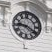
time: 9:20
